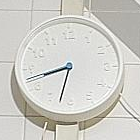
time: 8:32
